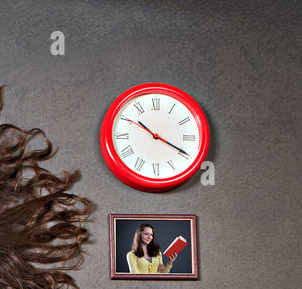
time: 10:19
